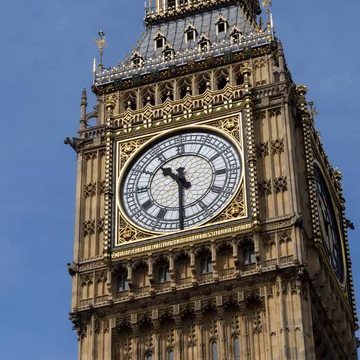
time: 10:30
